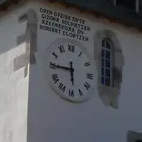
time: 5:45
